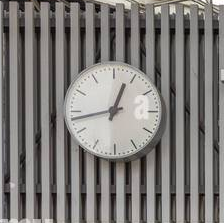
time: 12:43
